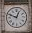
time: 12:48
